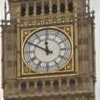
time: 11:49
